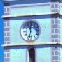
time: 11:32
